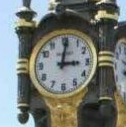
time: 3:01
